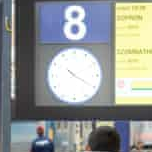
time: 10:20
